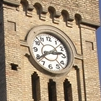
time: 2:39
